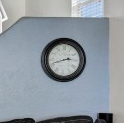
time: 2:41
